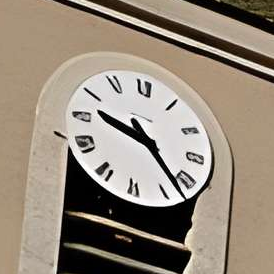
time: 9:22
